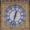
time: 12:32
